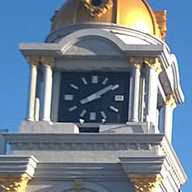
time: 8:09
